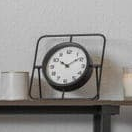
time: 10:09
